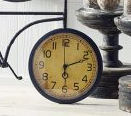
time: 6:11
